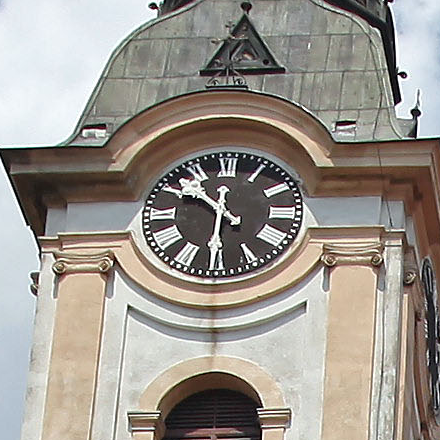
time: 10:30
